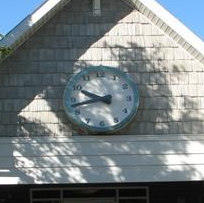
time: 9:42
